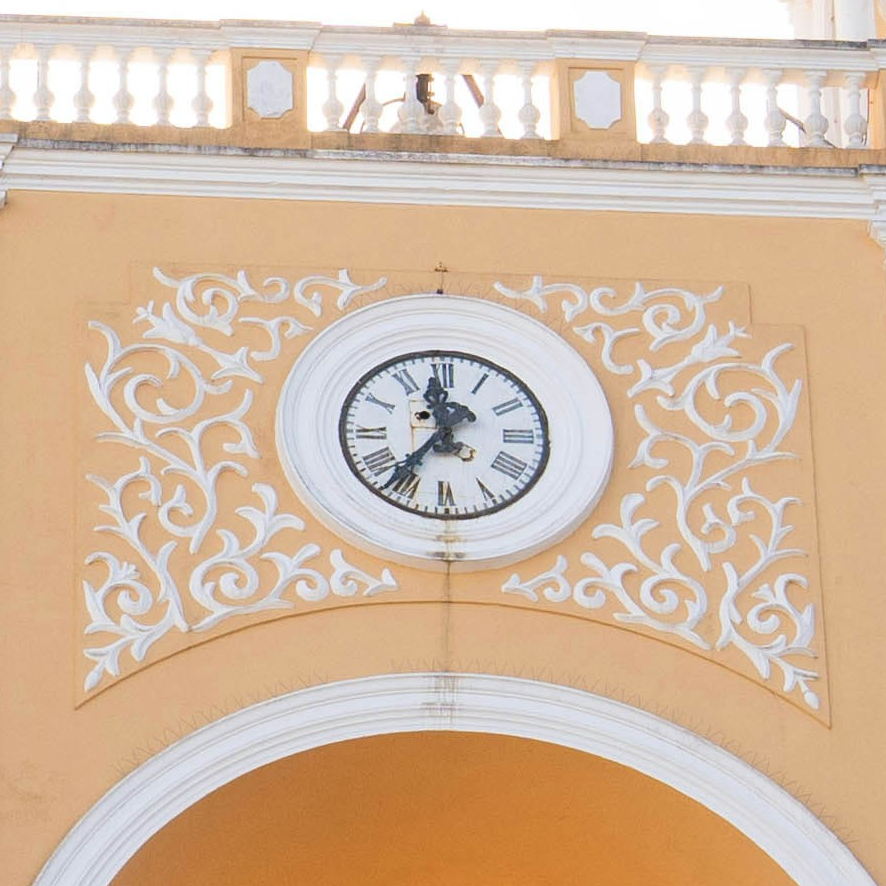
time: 11:36
